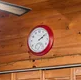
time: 2:09
